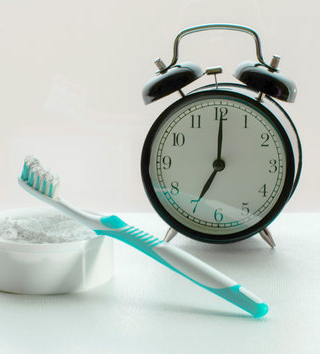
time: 7:00
